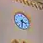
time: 3:31
